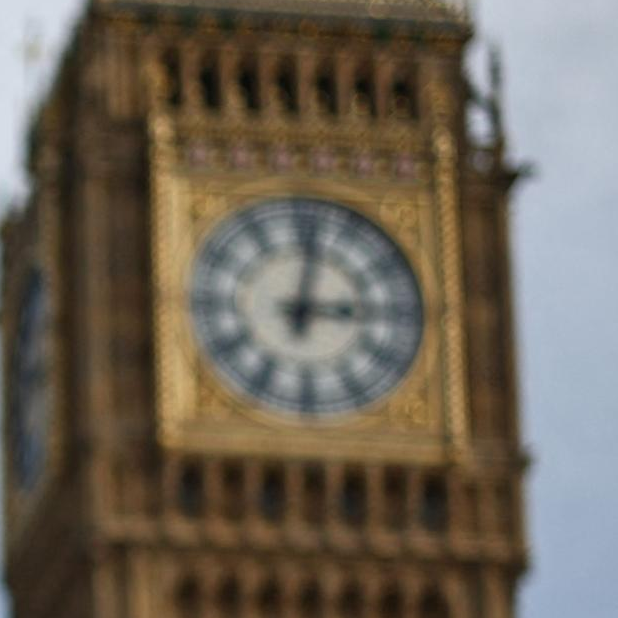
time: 3:02
